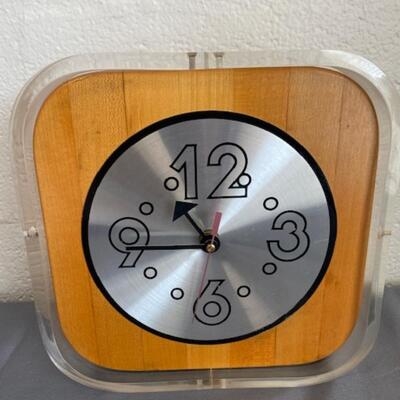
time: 10:43
